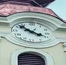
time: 3:52
